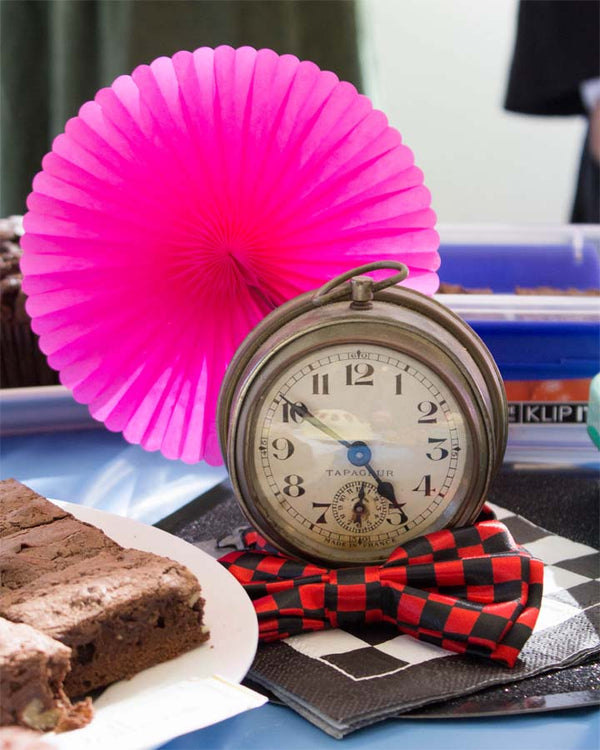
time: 4:50
